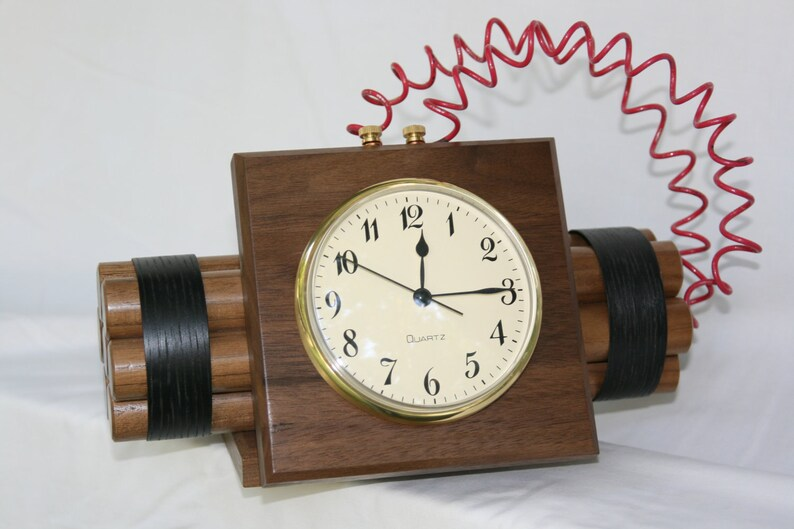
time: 12:14
